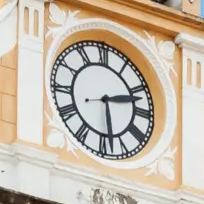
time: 2:28
